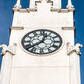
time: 12:38
